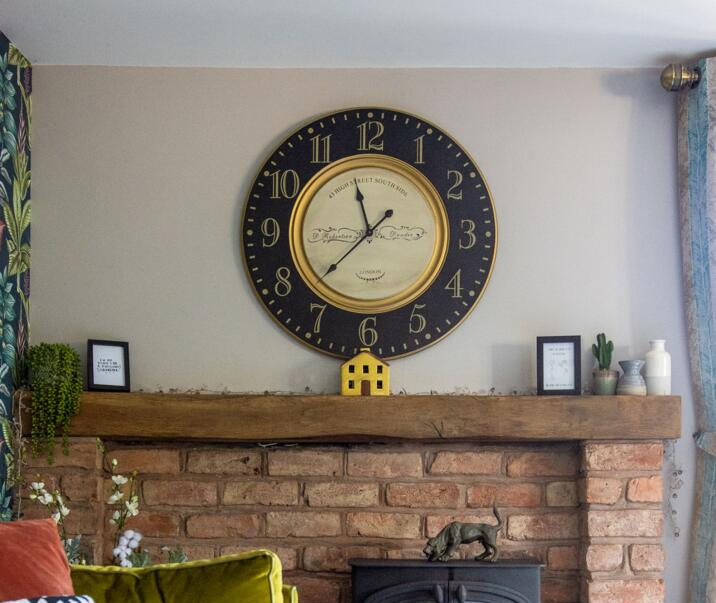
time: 11:37
